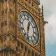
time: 12:32
